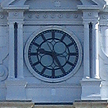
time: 9:25
